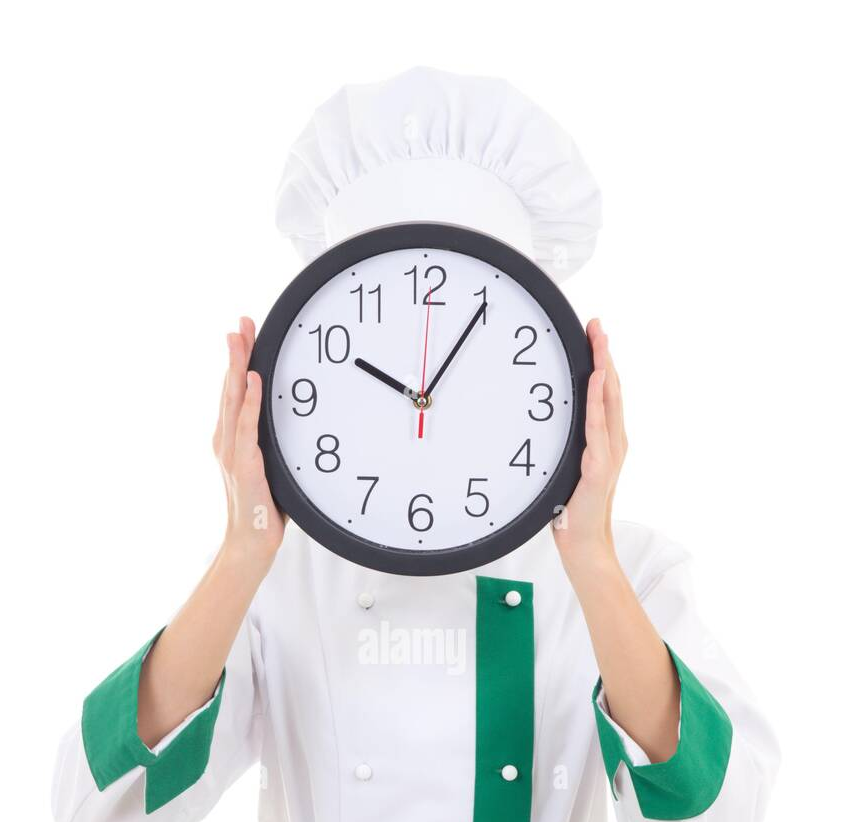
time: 10:05
